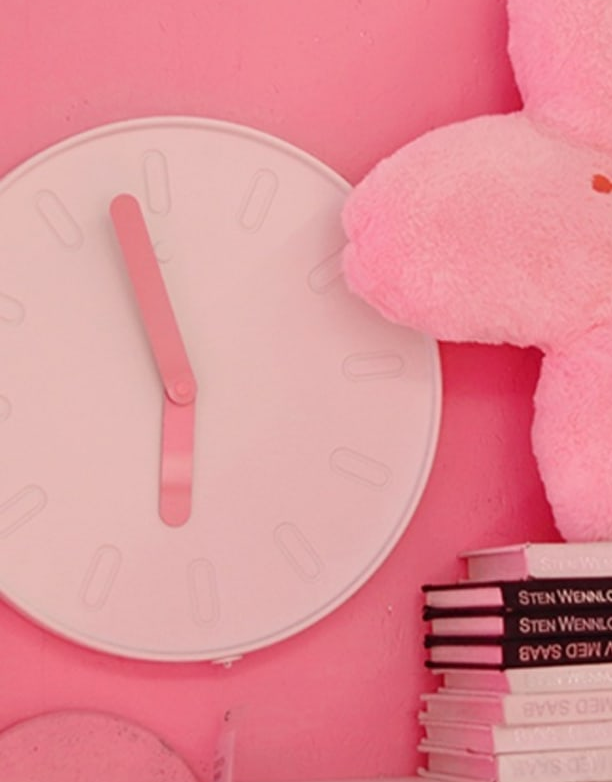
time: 5:57
